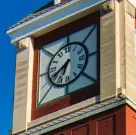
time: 6:40
